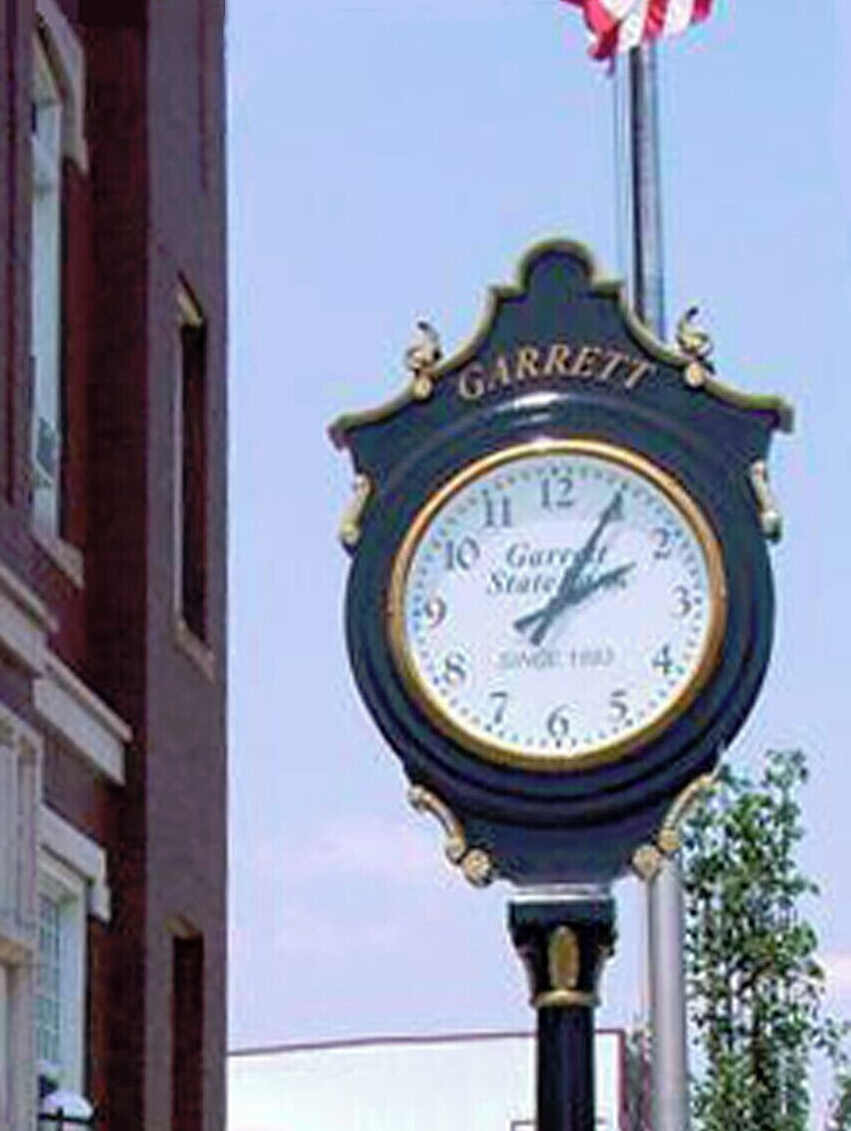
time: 2:05
